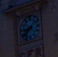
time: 8:38
